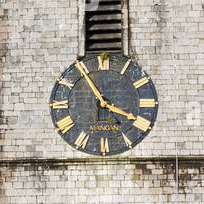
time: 3:54
